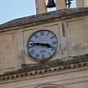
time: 3:46
